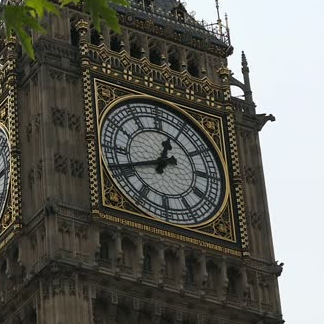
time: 12:41
